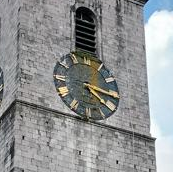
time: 4:16
